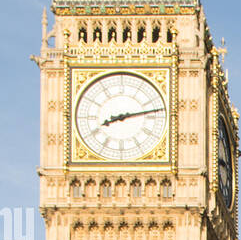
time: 8:13
